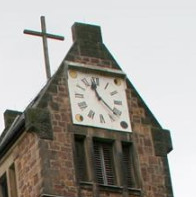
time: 11:22
